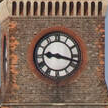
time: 9:17
